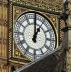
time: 1:00
